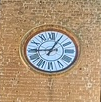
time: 9:04
